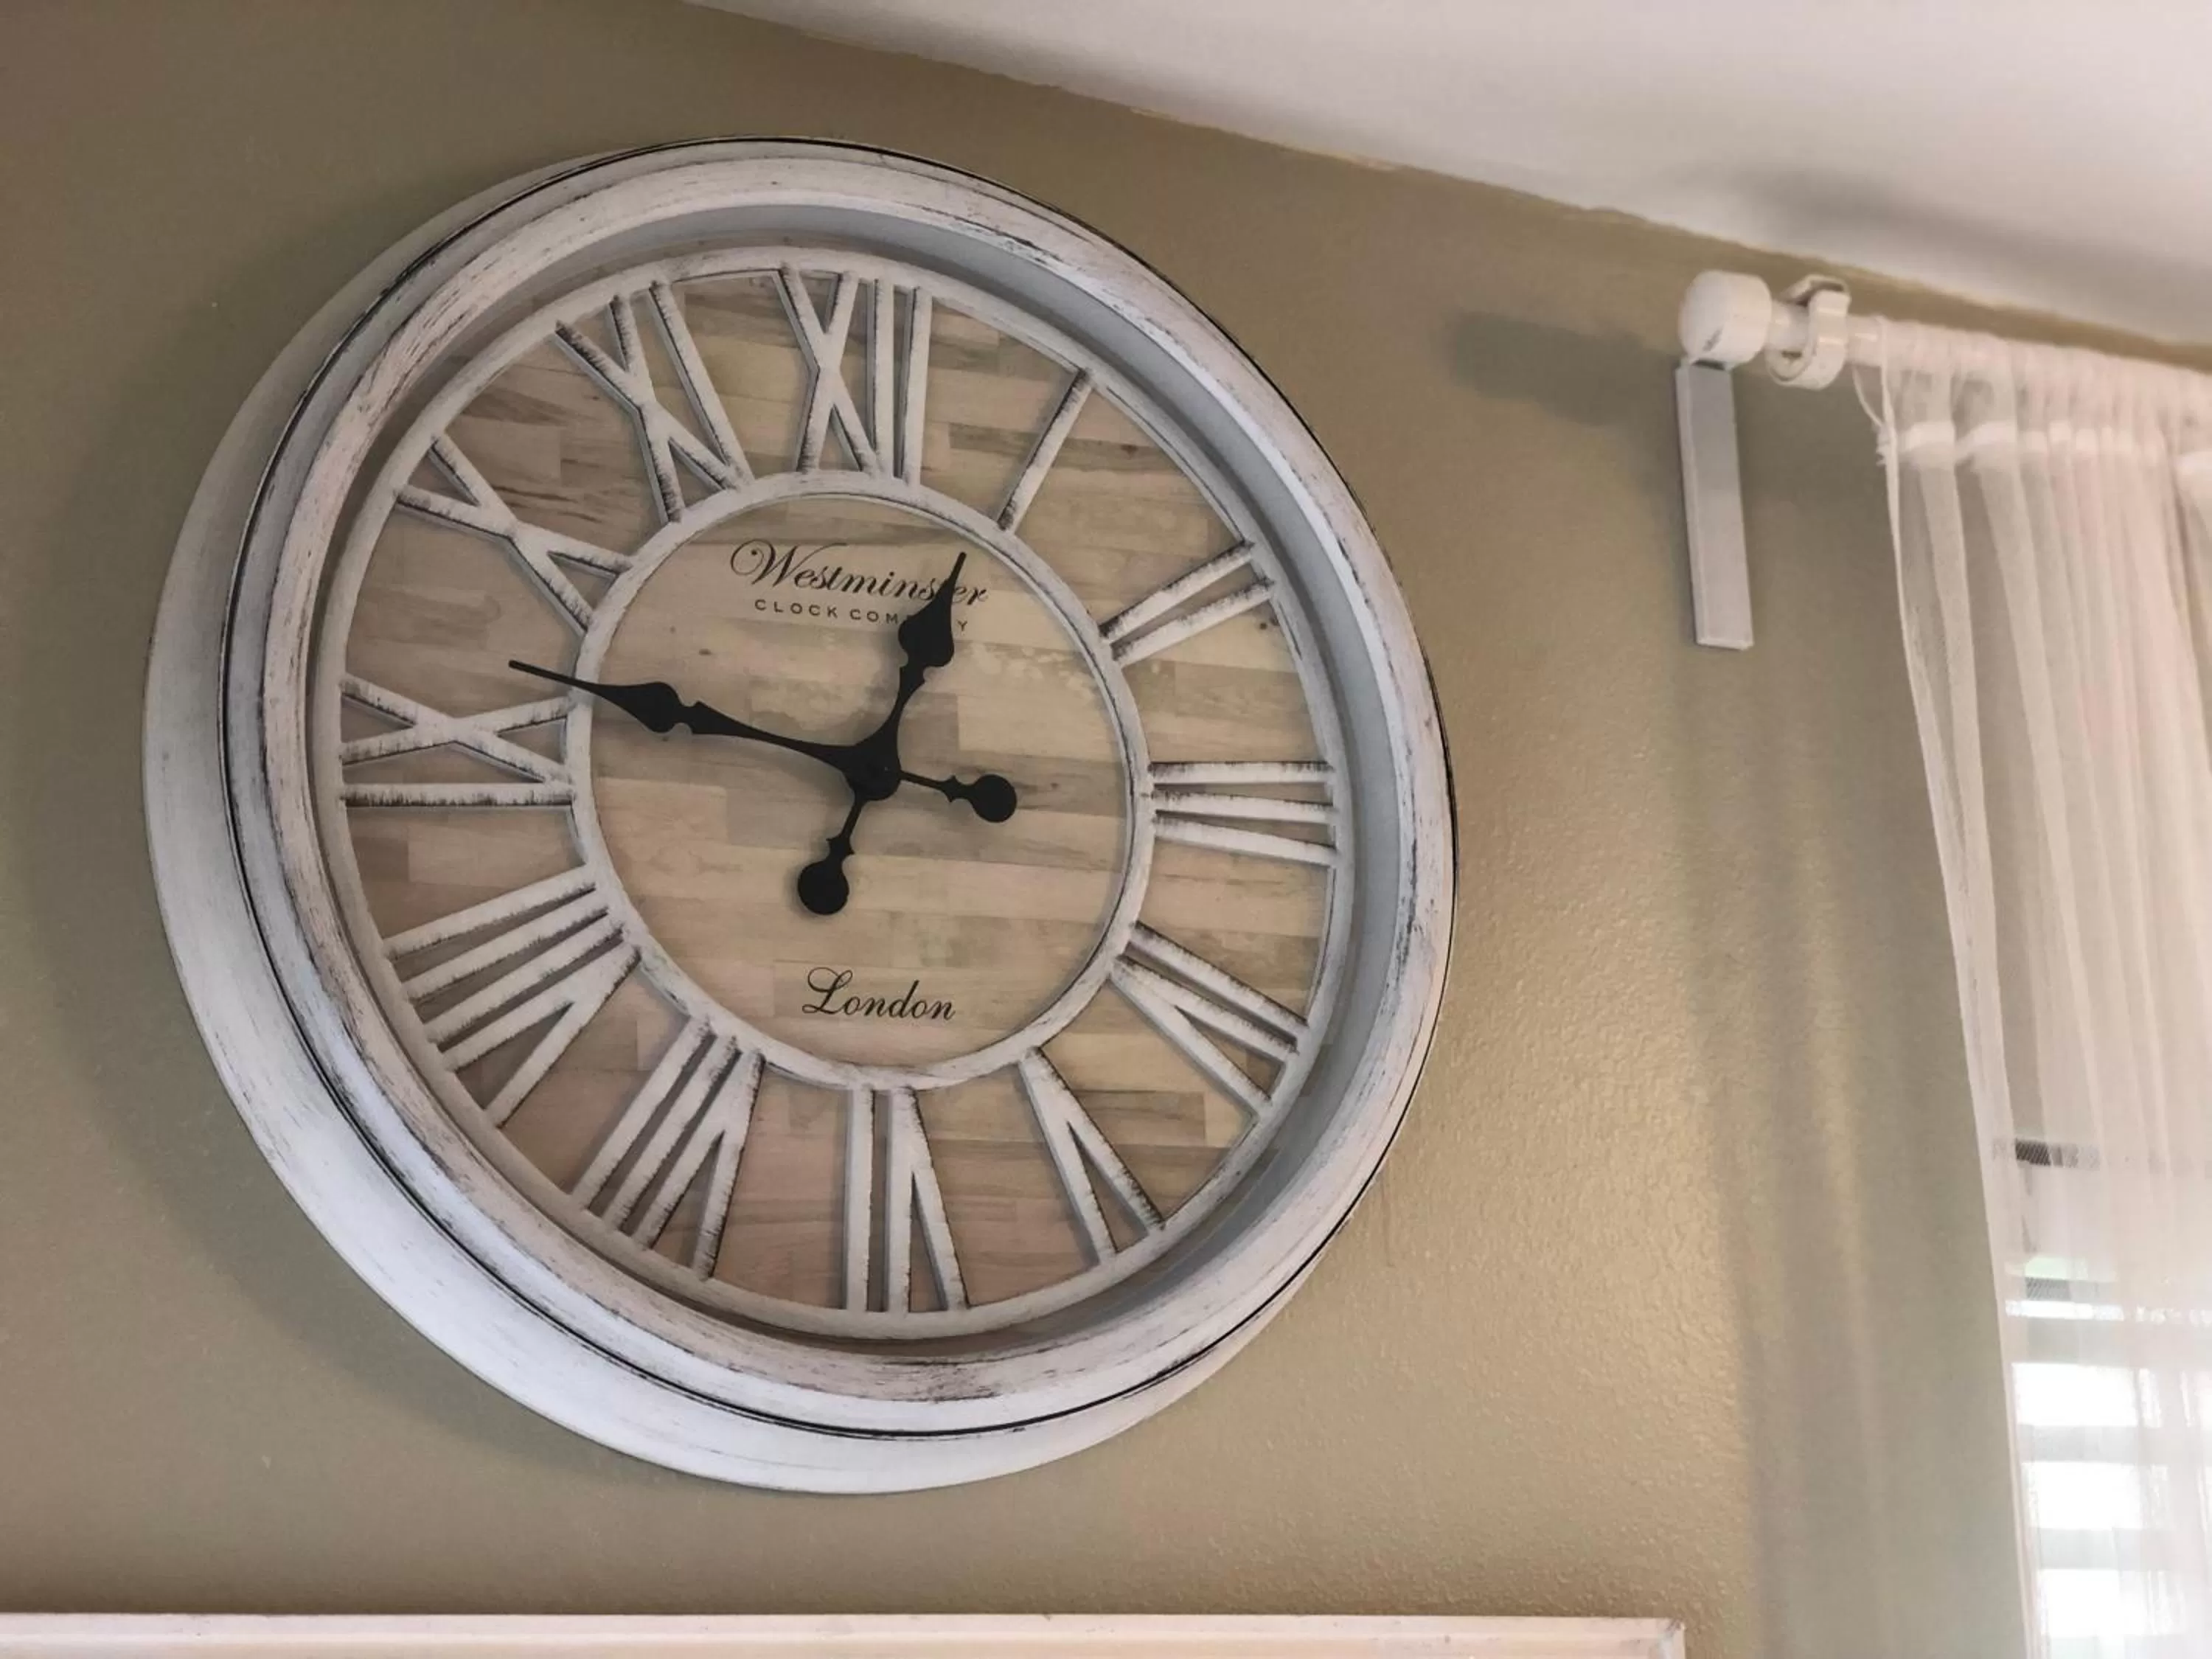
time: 12:47
